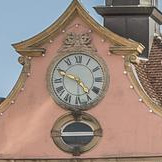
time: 4:48
